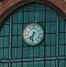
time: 7:32
